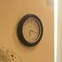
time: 6:17
